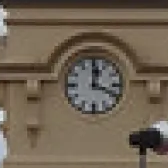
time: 4:00
